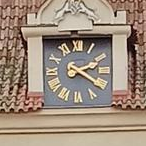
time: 2:20
